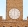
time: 6:00
